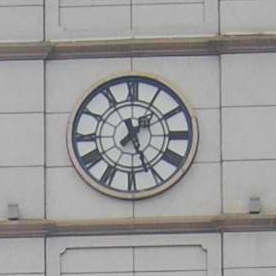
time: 1:25
